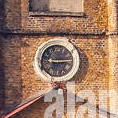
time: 9:14
